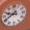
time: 9:40
